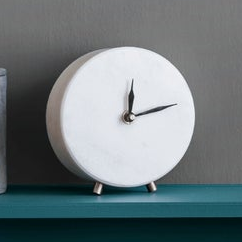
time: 12:12
